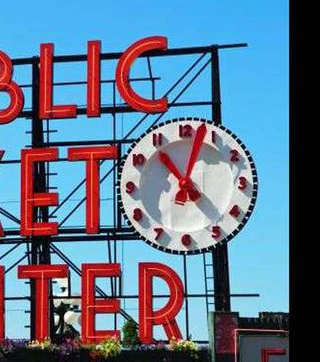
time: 11:03
